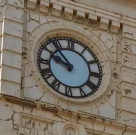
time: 9:53
